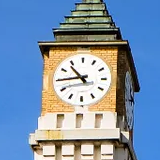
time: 10:44
